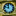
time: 11:46
